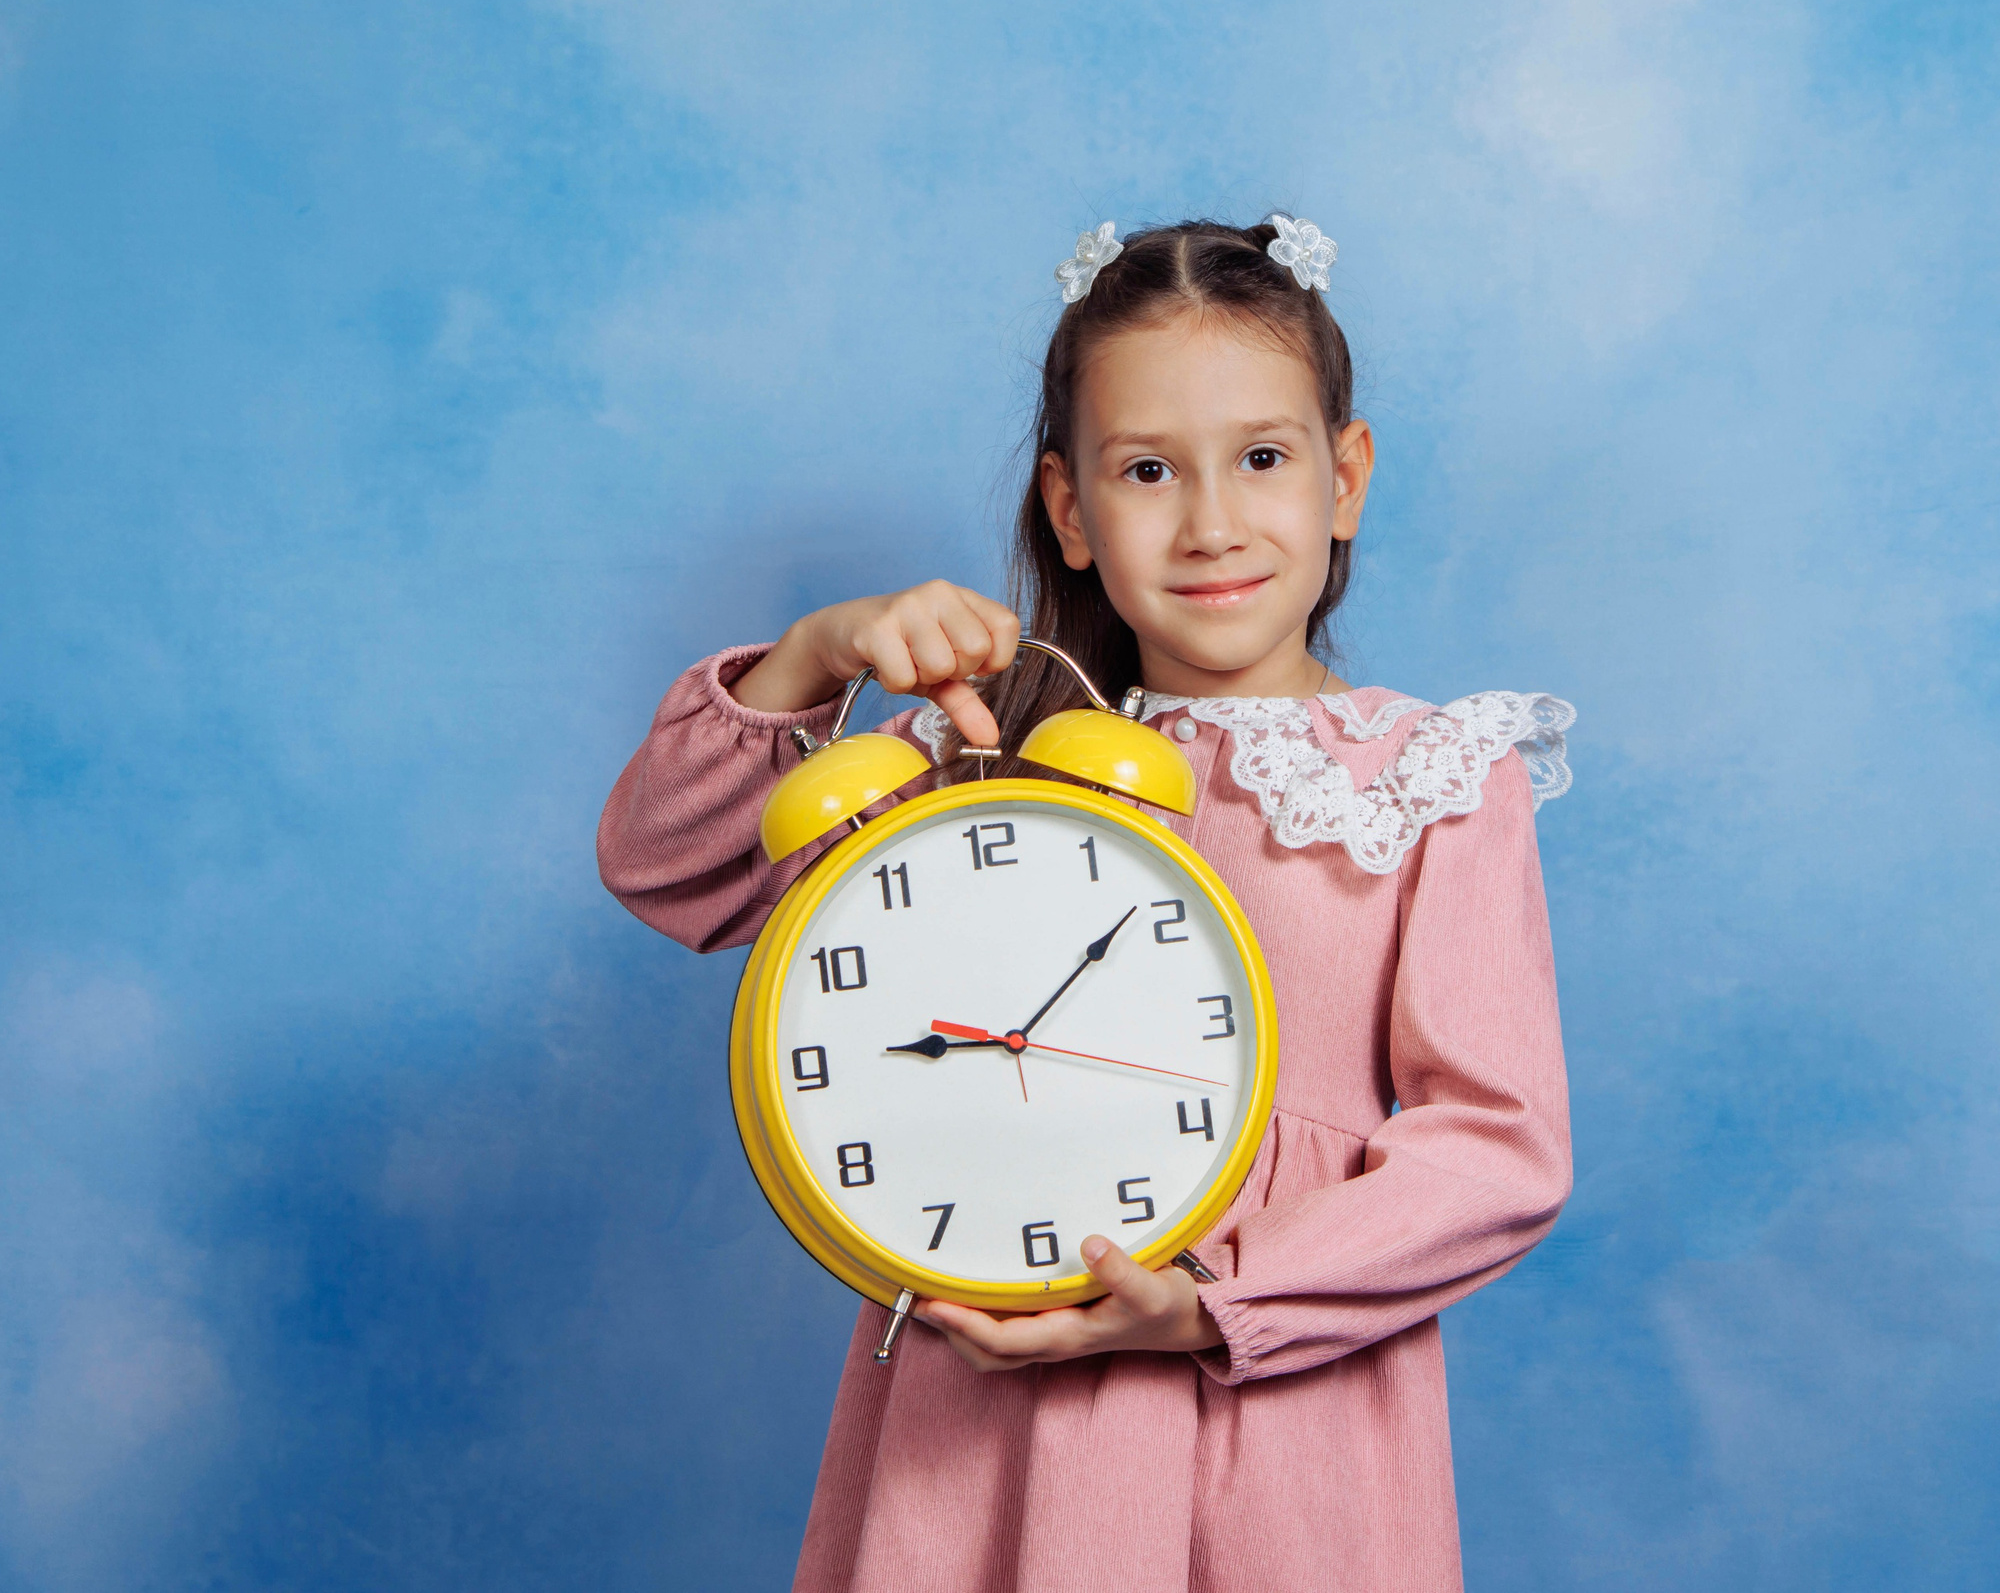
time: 9:08
